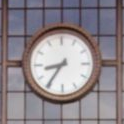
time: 8:35
